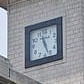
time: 11:26
